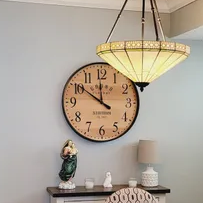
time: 11:50
